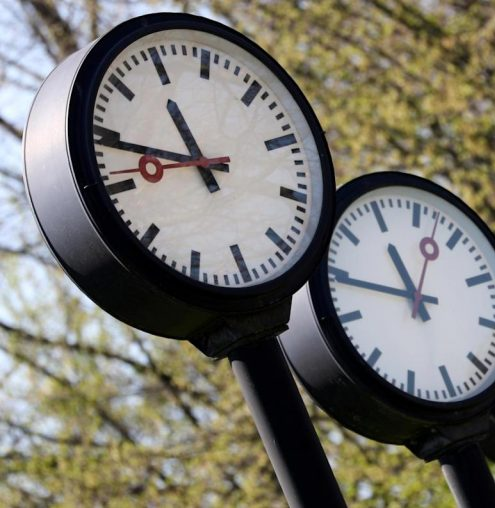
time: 10:43
